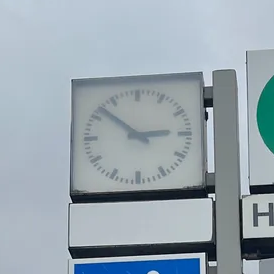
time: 2:52
